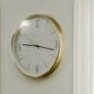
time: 9:17
